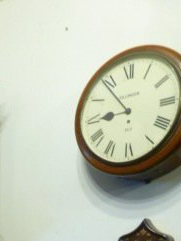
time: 8:53
